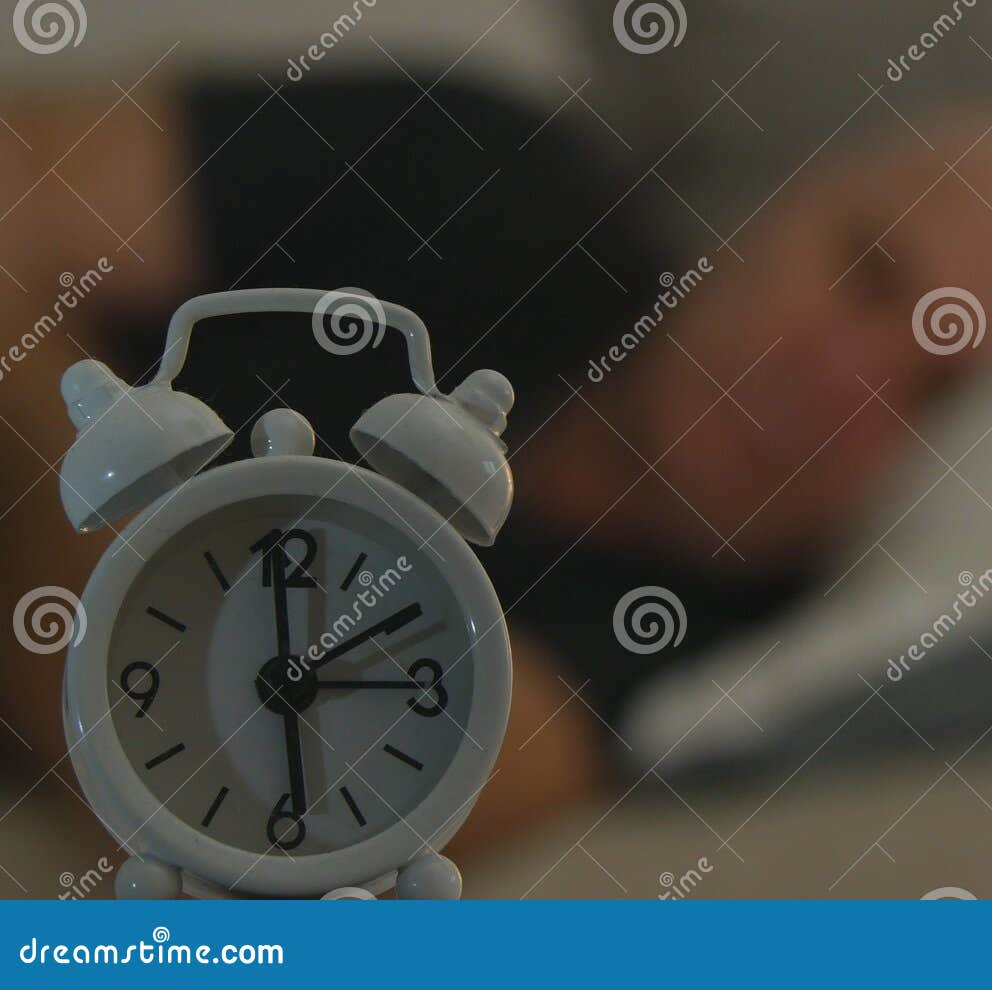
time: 5:59
